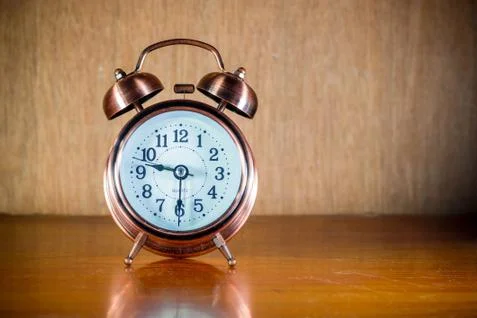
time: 9:30
